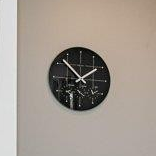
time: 1:52
